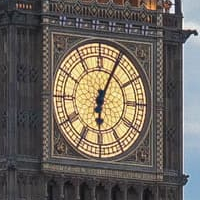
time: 6:04
